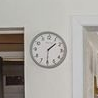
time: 1:30
